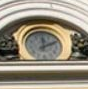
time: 12:10
